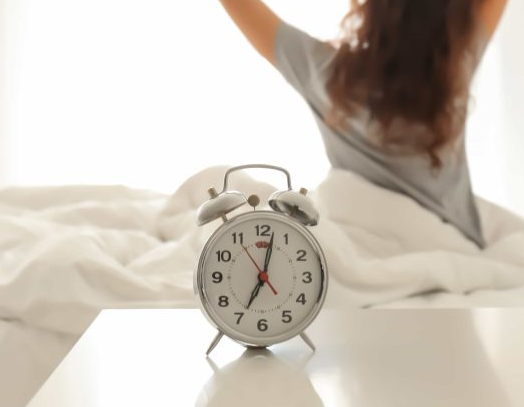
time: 7:02
